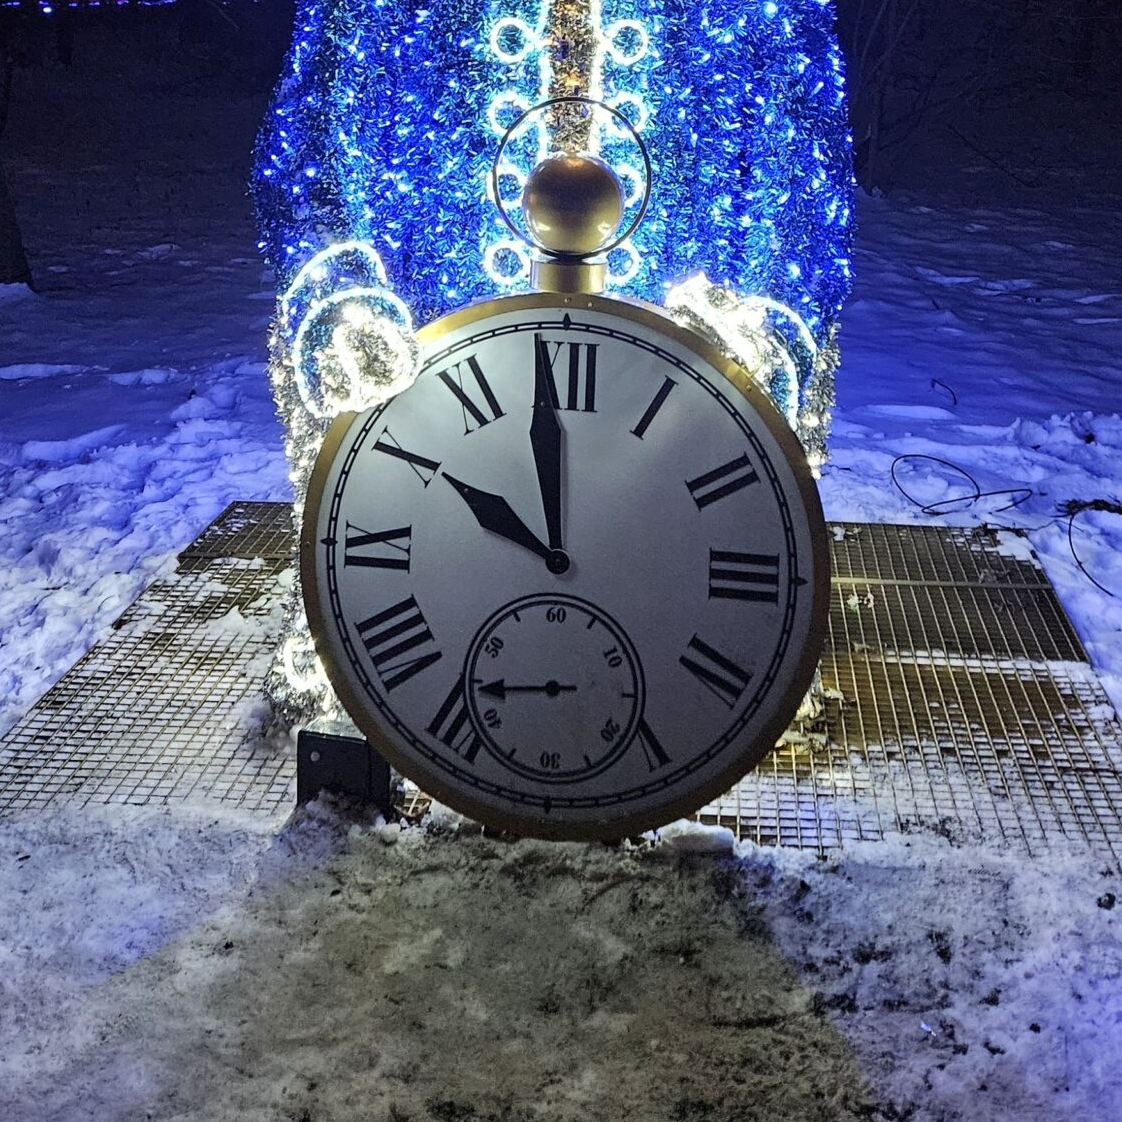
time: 9:58
